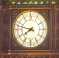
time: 7:47
